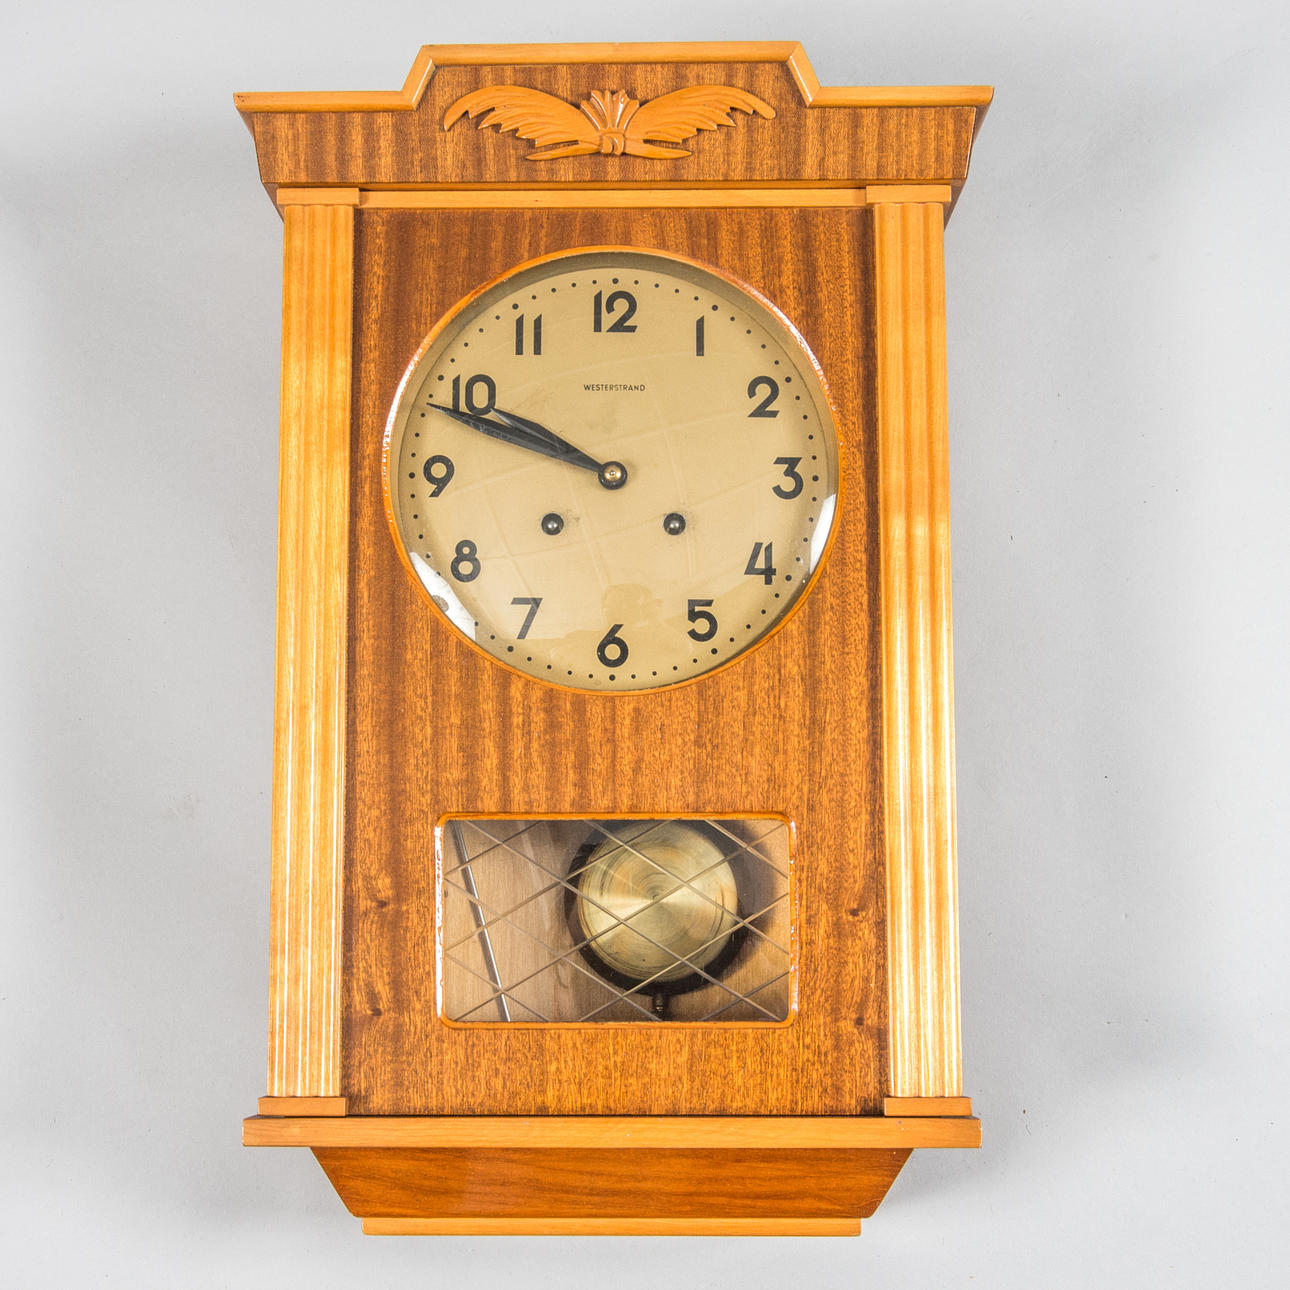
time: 9:48
